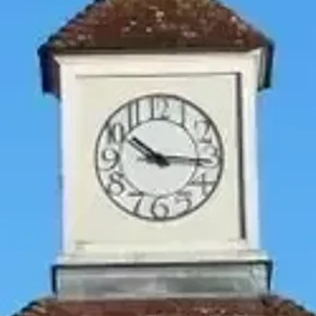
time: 10:15
